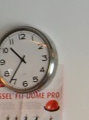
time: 10:36
